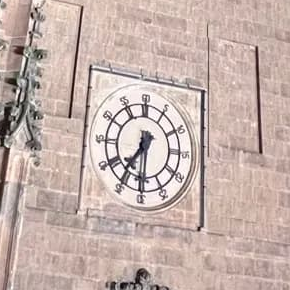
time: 7:30
